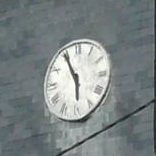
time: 5:55
